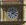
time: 4:09
